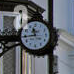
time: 11:43
